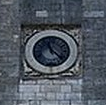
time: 11:22
